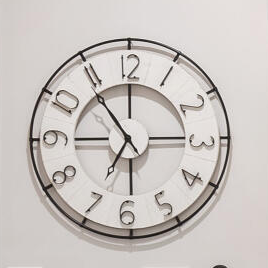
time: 6:53
